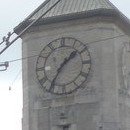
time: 1:35
